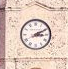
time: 3:10
